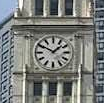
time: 1:50
